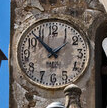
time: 1:53
